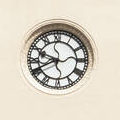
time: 9:41
